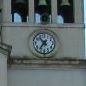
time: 10:36
